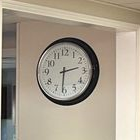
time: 2:31
